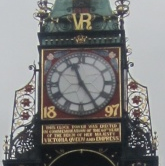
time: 11:24
